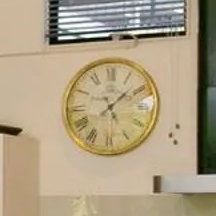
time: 5:08
